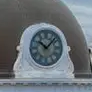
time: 10:07
